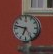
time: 6:47
